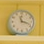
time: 11:18
